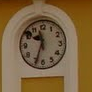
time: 11:33
